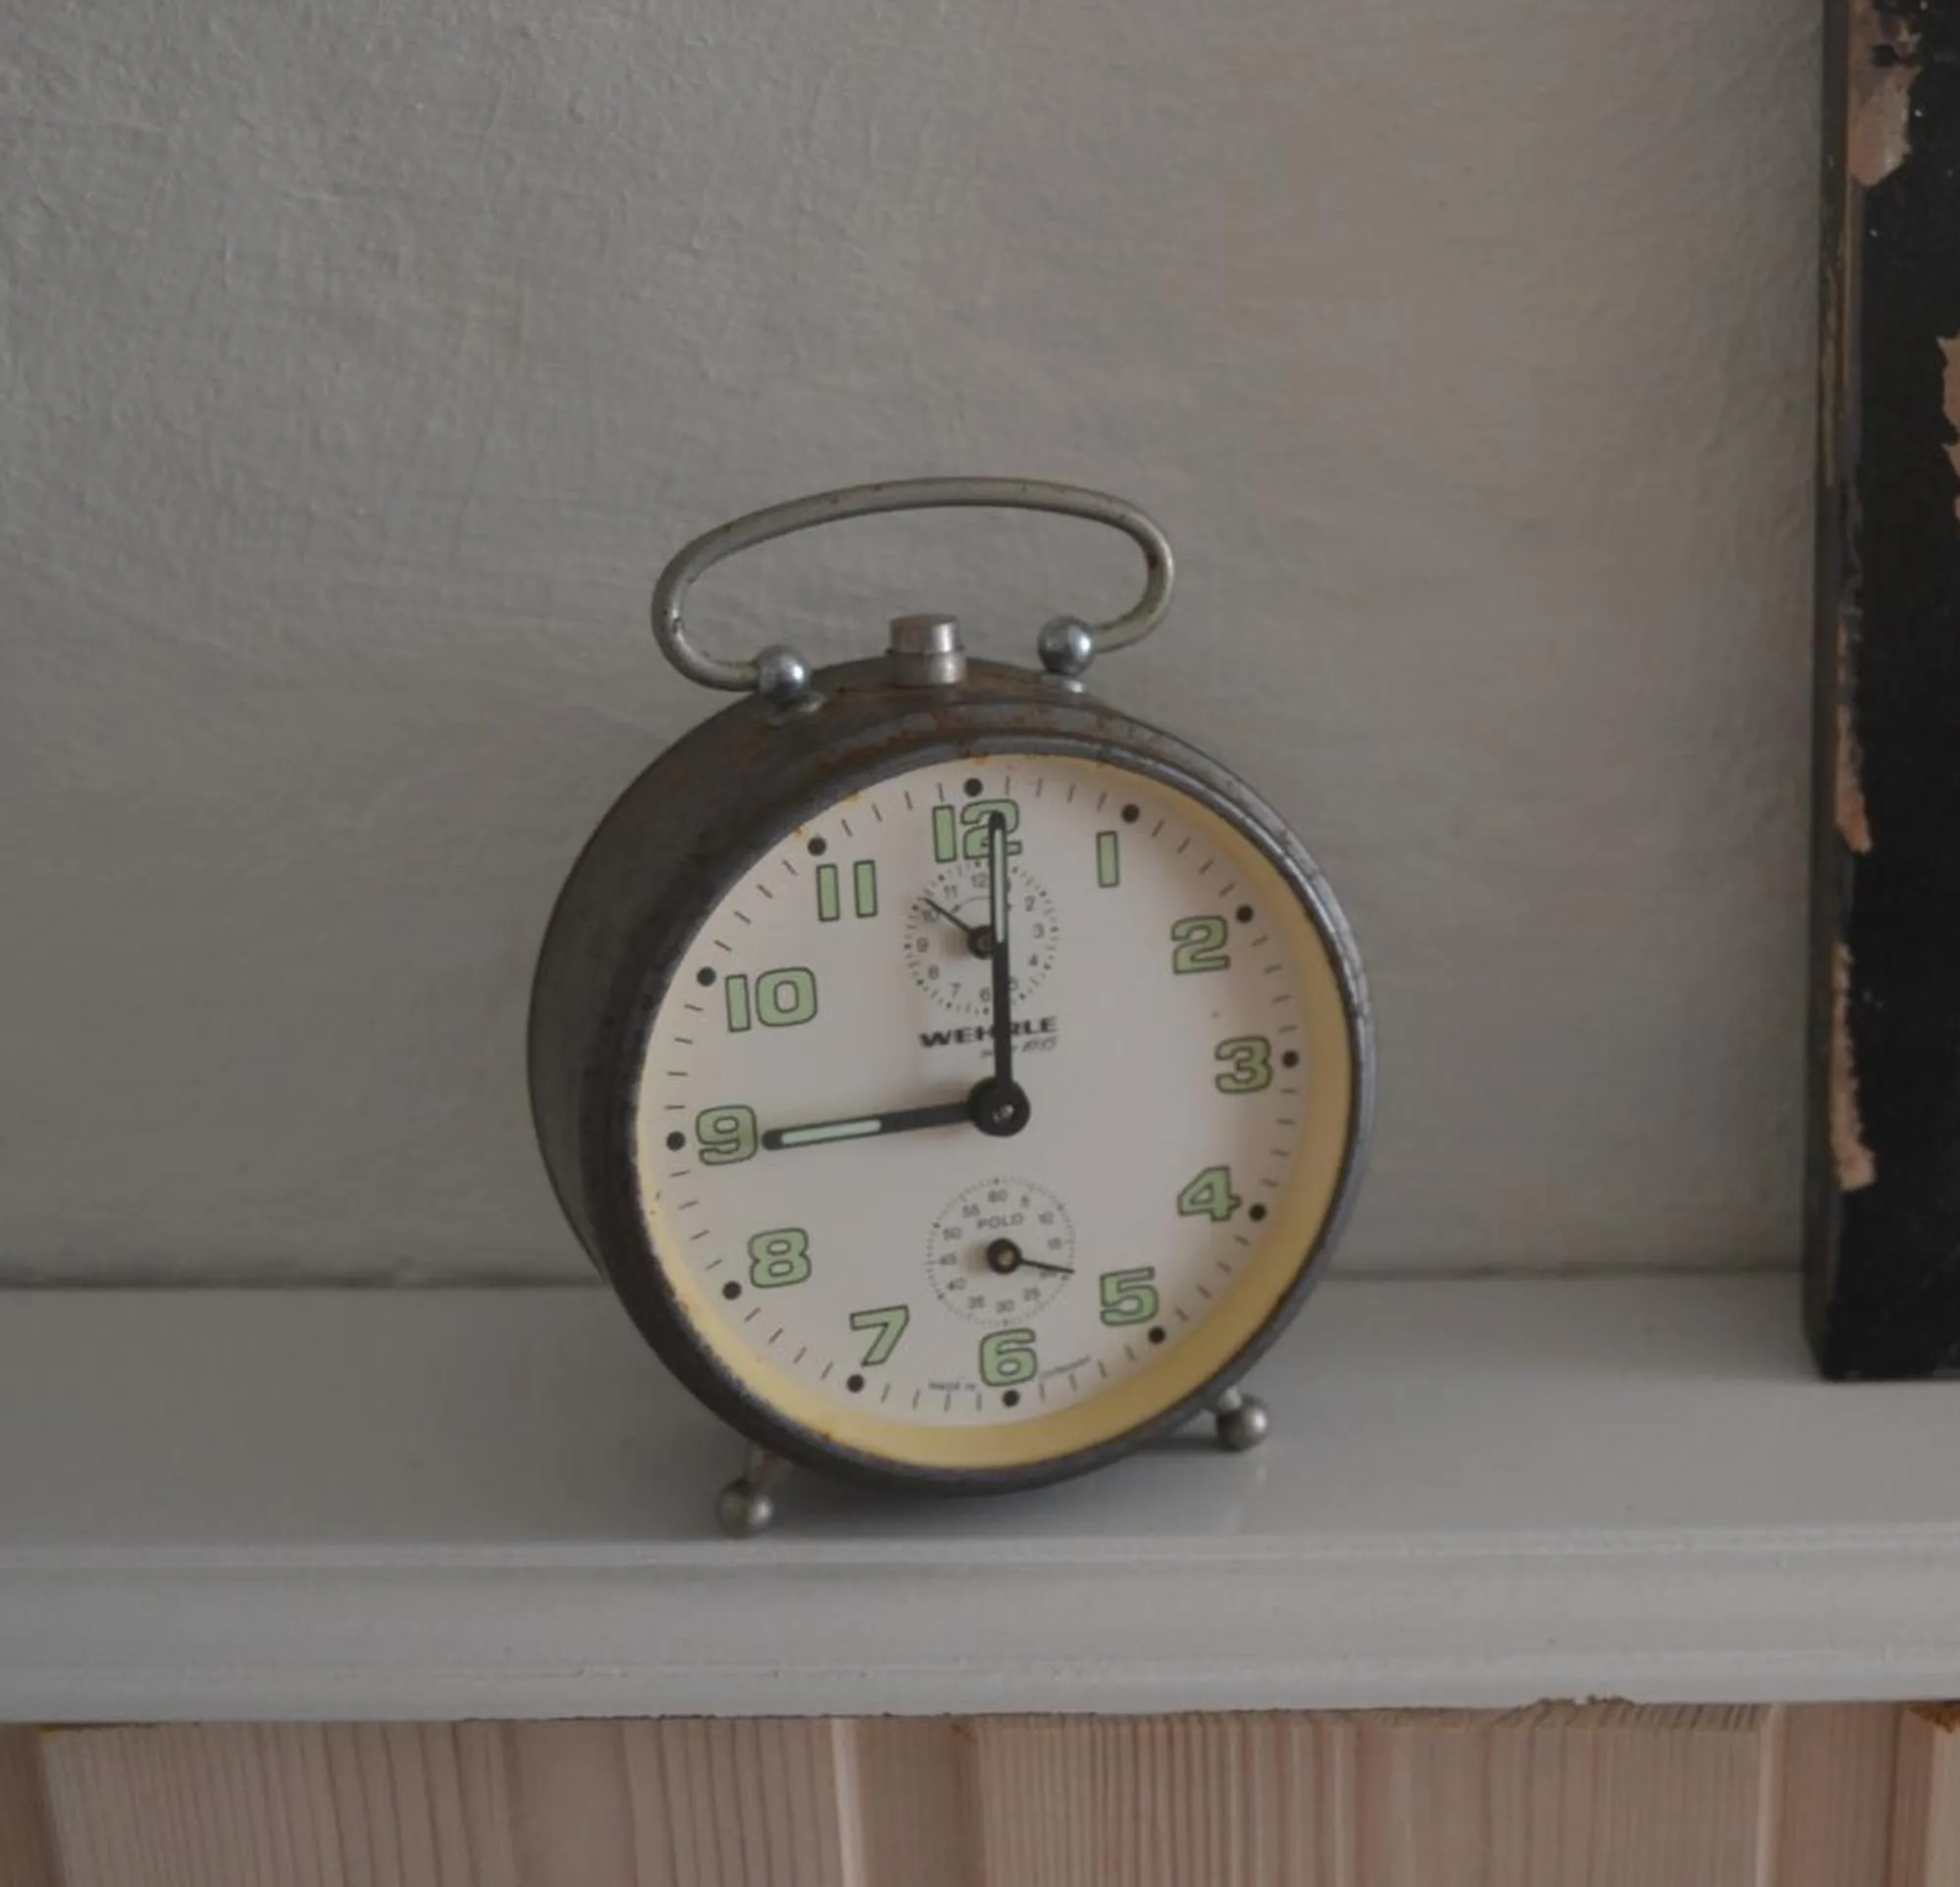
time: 9:00
